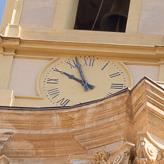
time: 9:56
